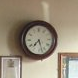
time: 7:27
